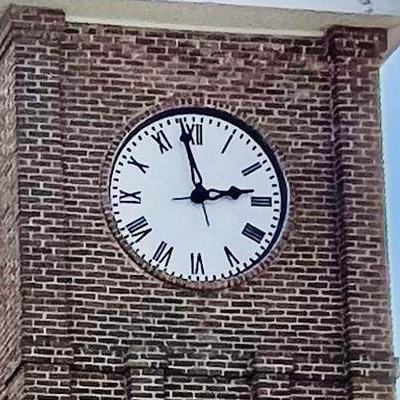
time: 2:58
